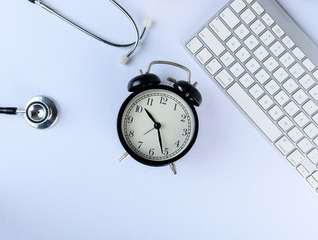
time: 10:26
